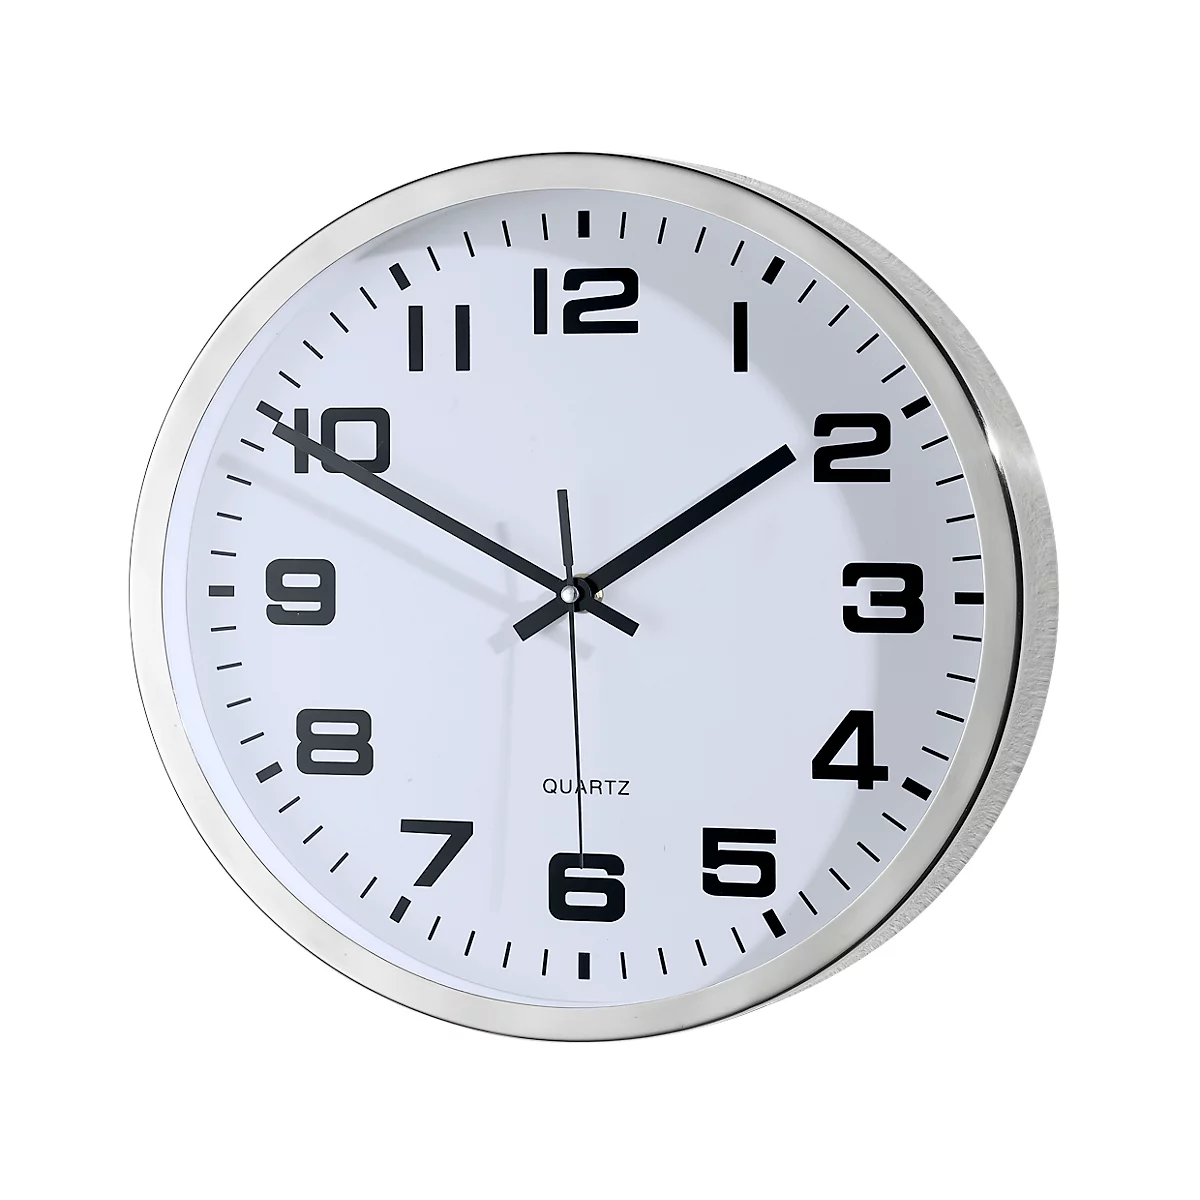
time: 1:49
